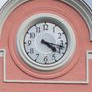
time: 4:17
